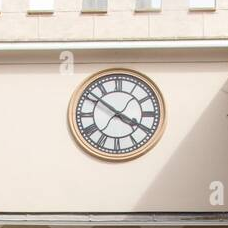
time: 3:51
